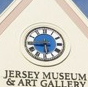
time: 5:43
